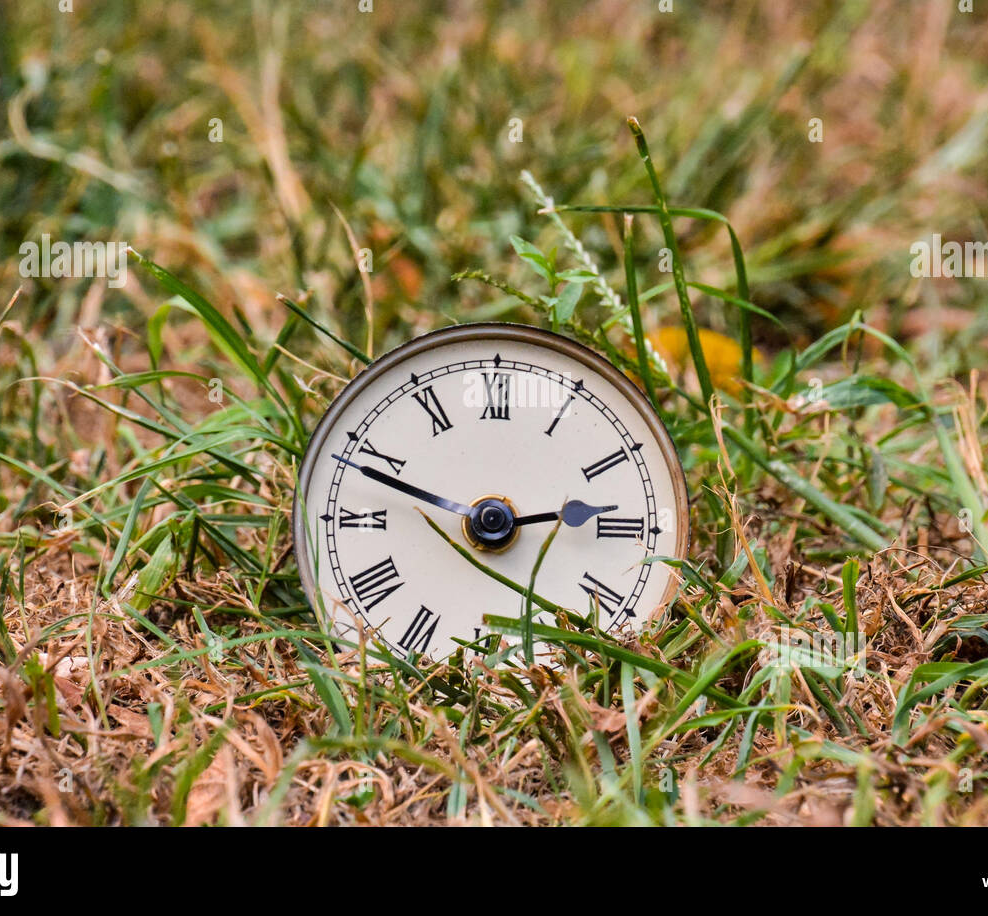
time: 2:48
